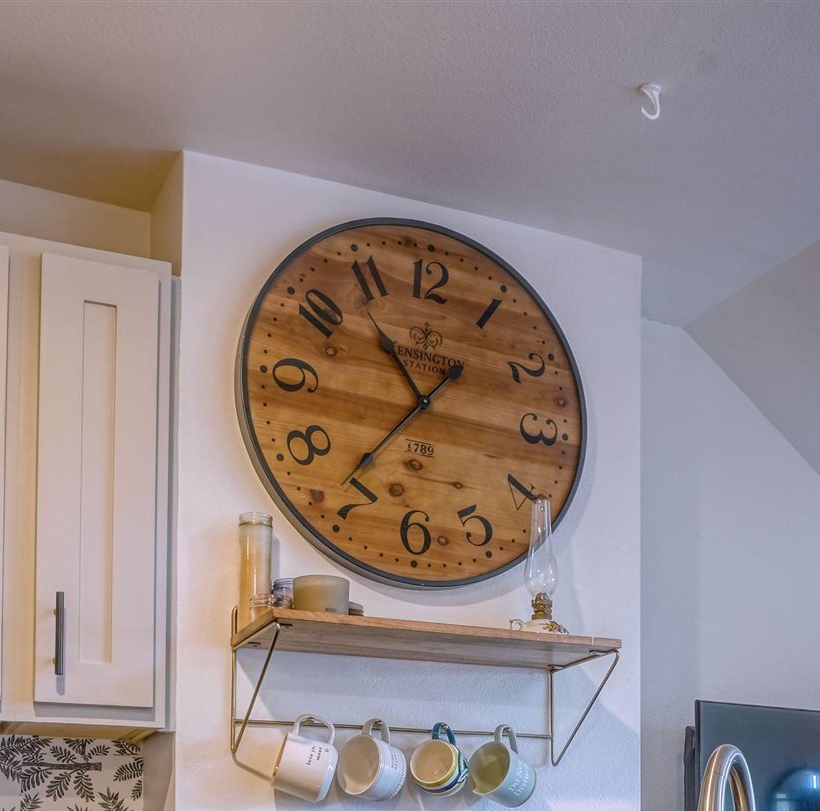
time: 10:36
